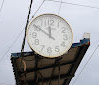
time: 11:50
